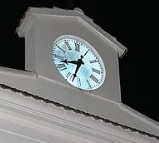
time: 8:33
